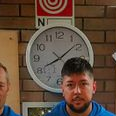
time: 8:08
